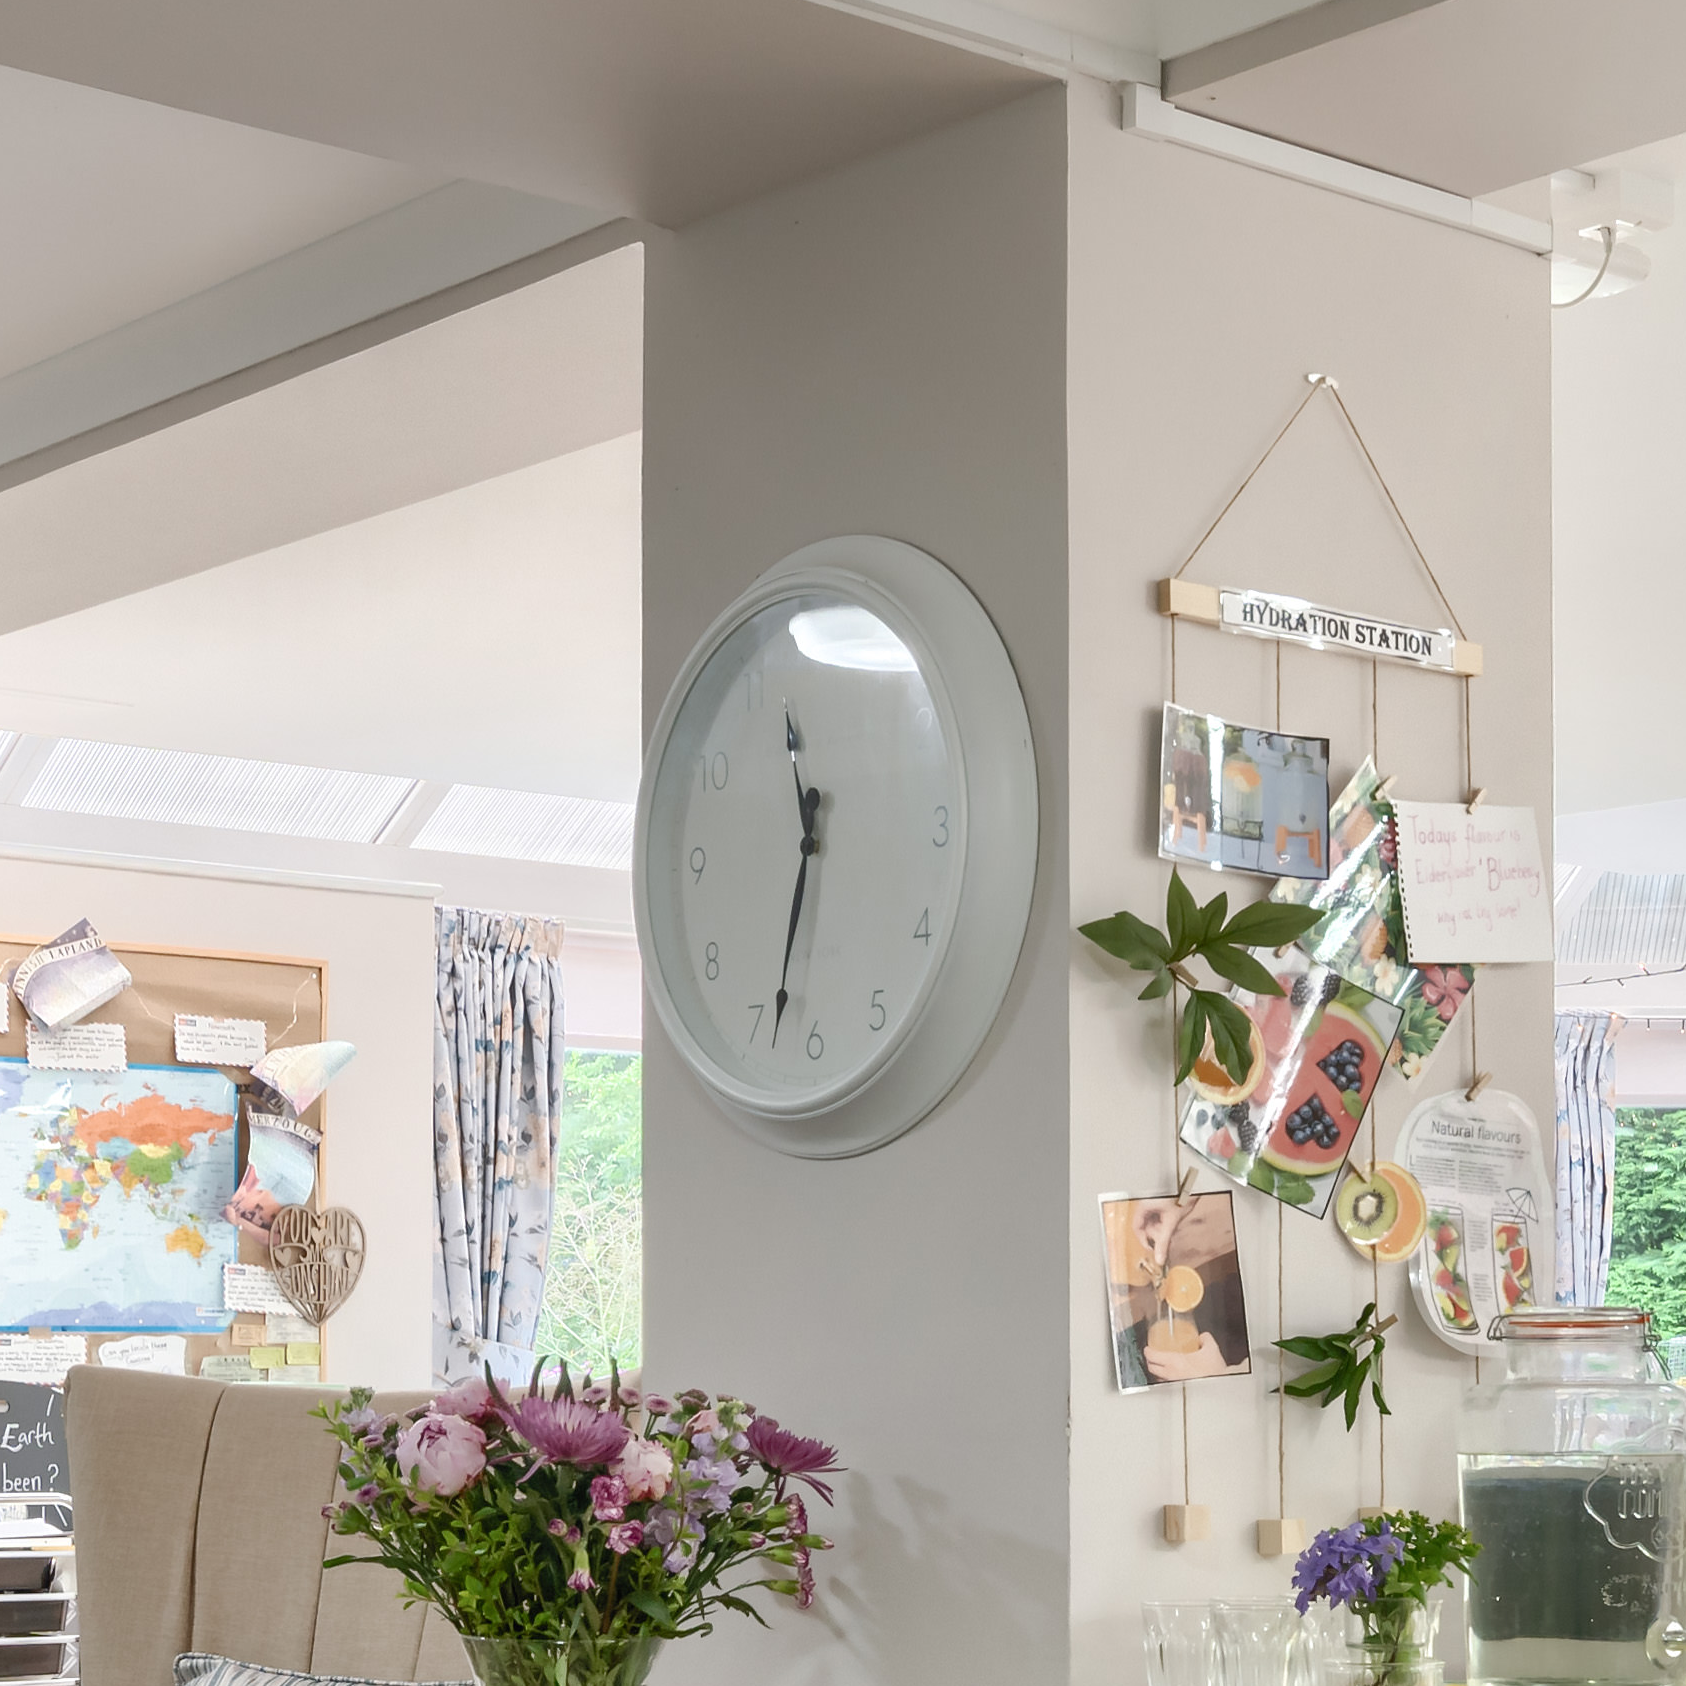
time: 11:32
